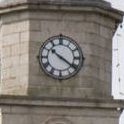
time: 10:20
